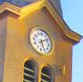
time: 5:09
